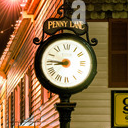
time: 8:46
